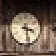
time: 3:29
